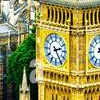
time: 2:24
